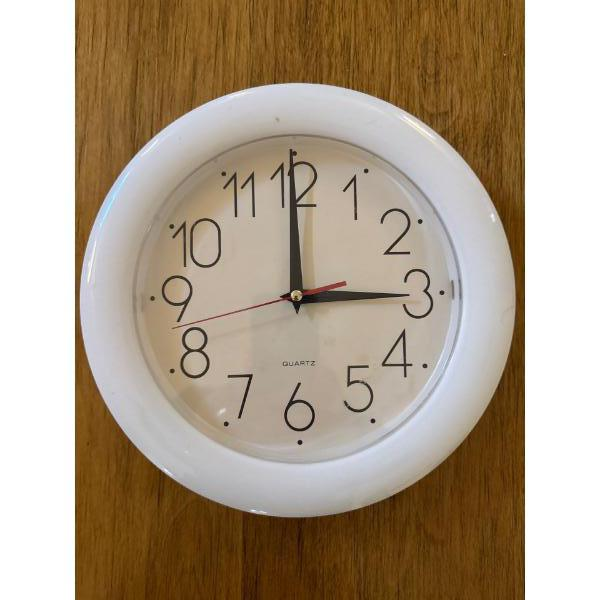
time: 2:59
